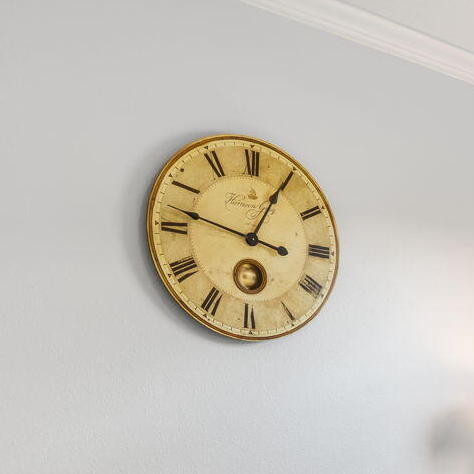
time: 12:47
